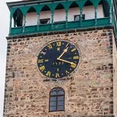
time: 1:18
